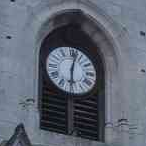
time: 6:02
